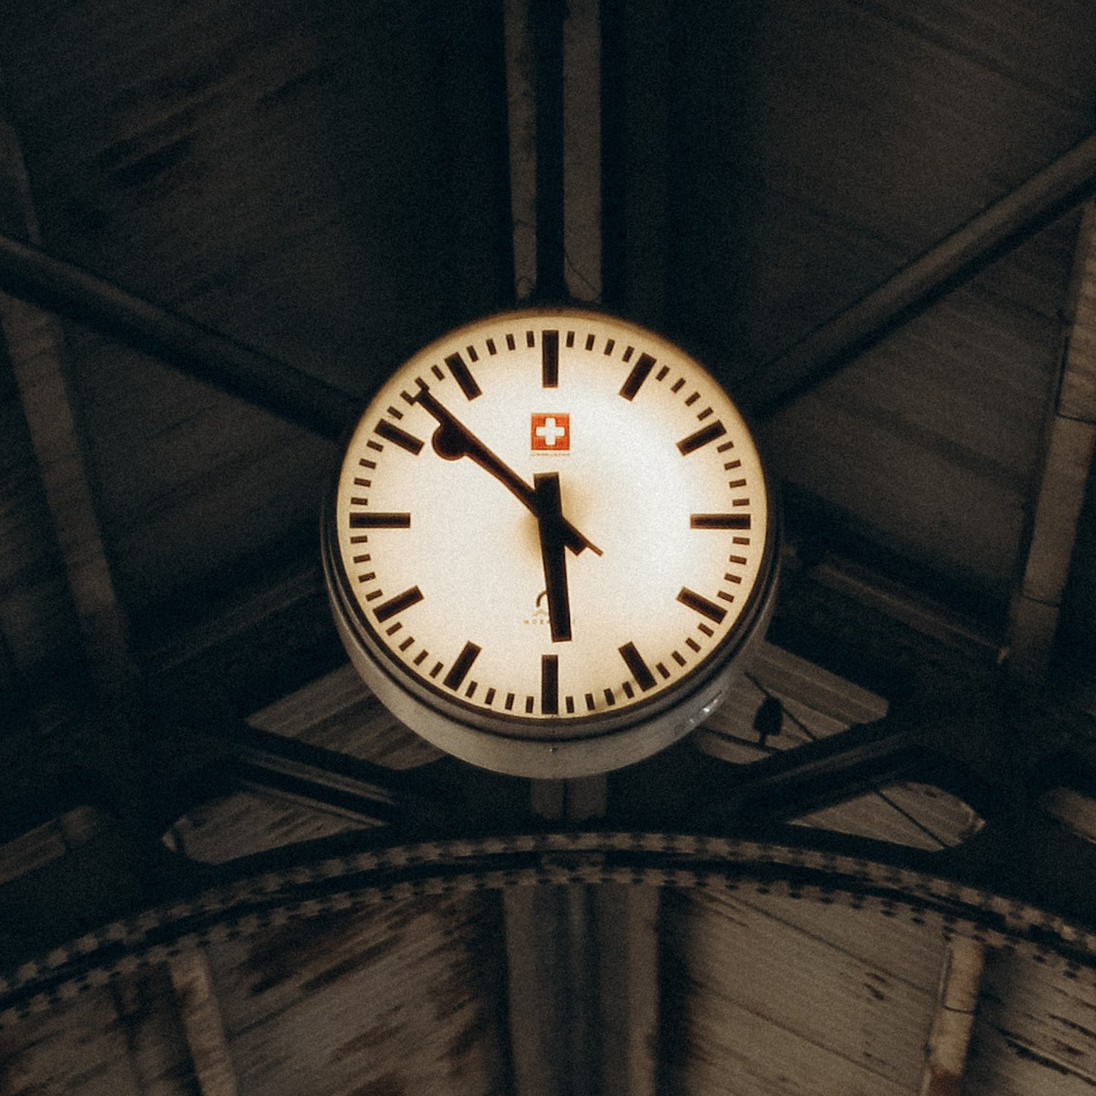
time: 5:52
